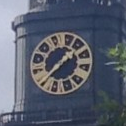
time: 1:35
